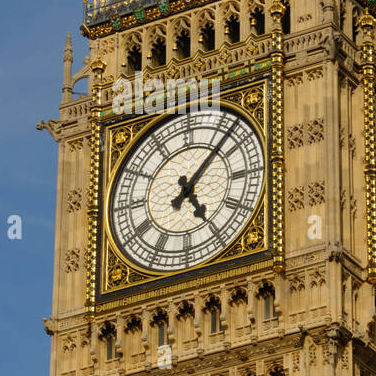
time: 5:07
